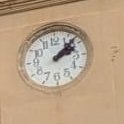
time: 2:07
